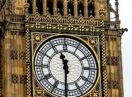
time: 11:30
